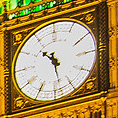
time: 10:28
